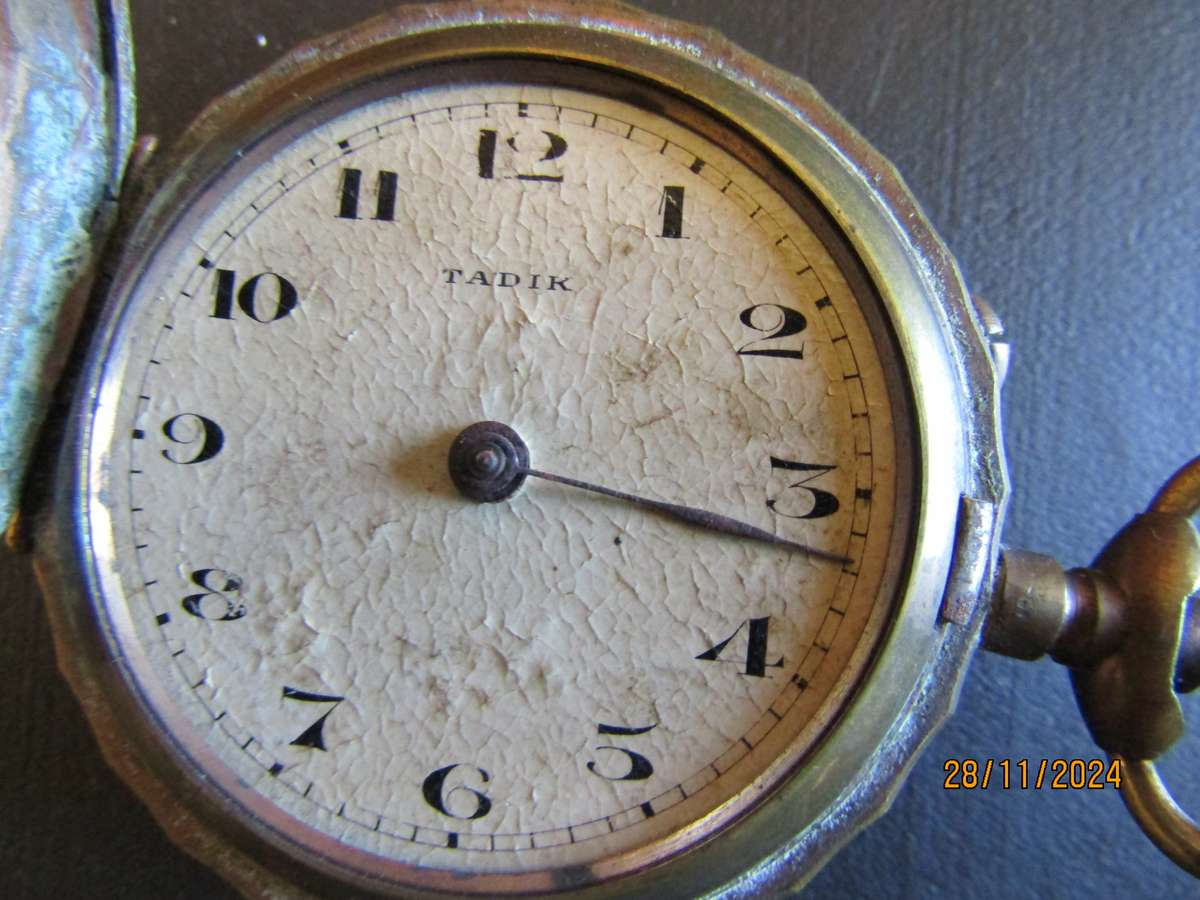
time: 3:16
